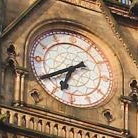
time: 6:39
